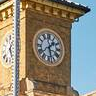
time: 1:28
